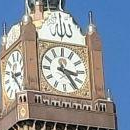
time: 3:23
